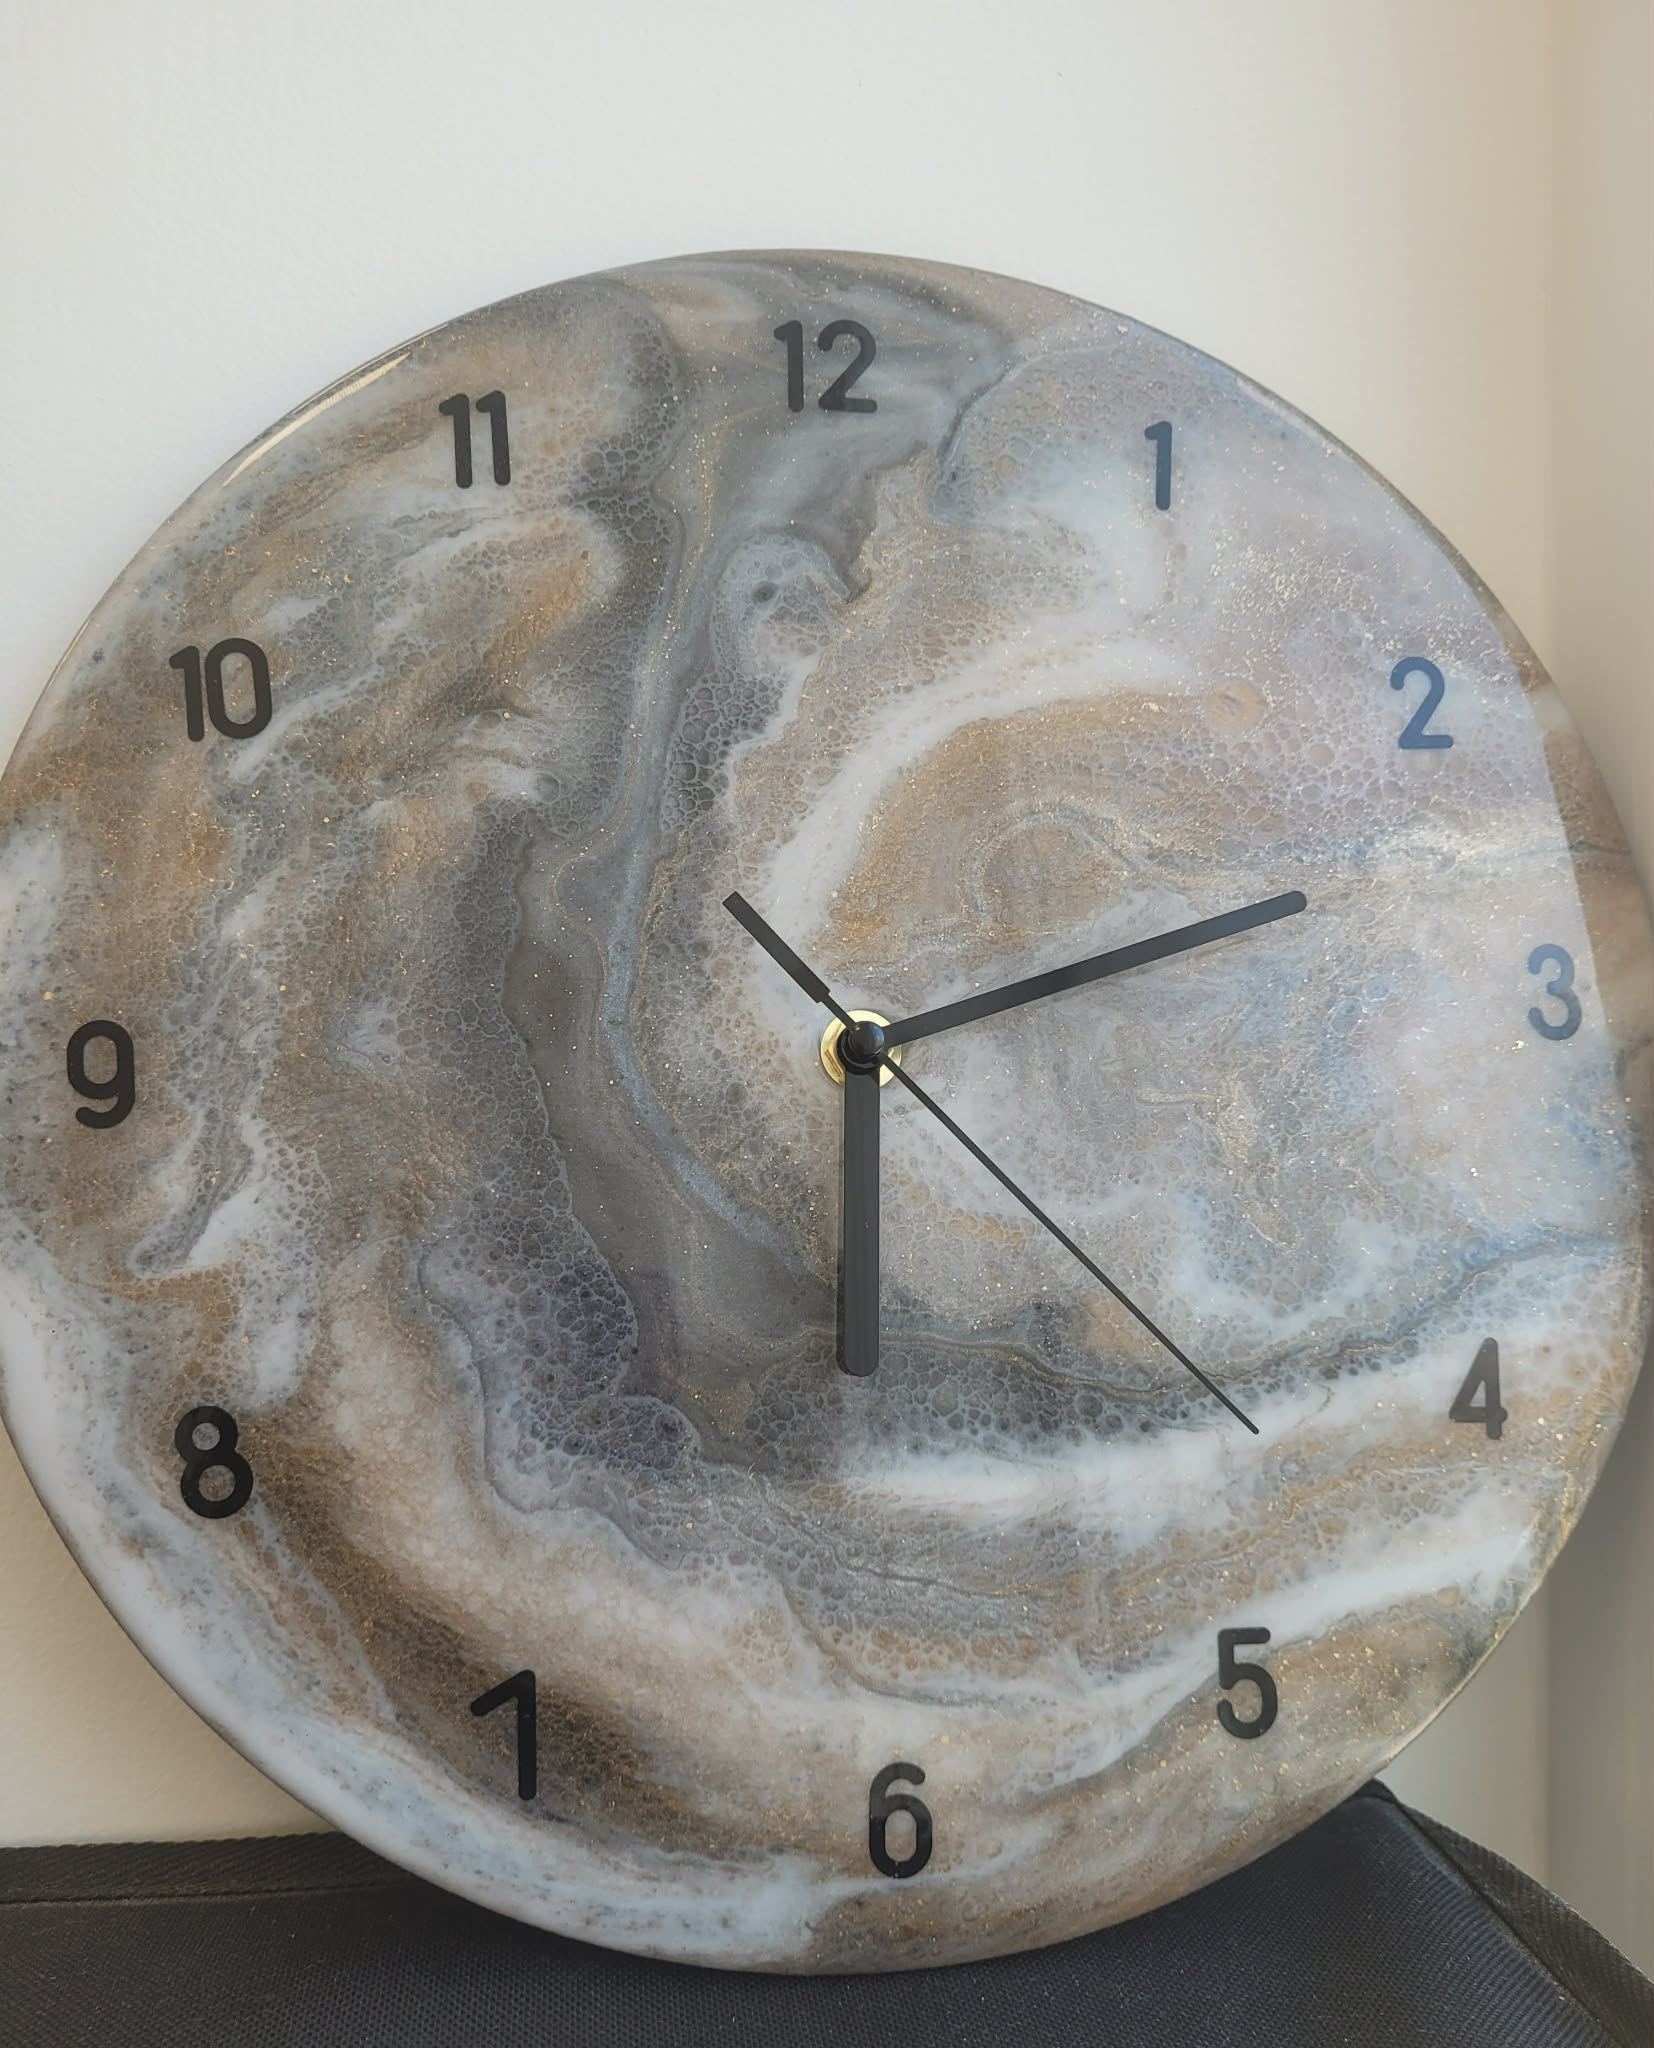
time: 6:12
